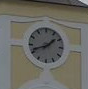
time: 1:41
